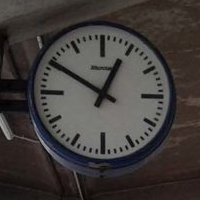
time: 12:50
